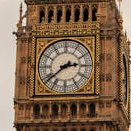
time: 2:38
